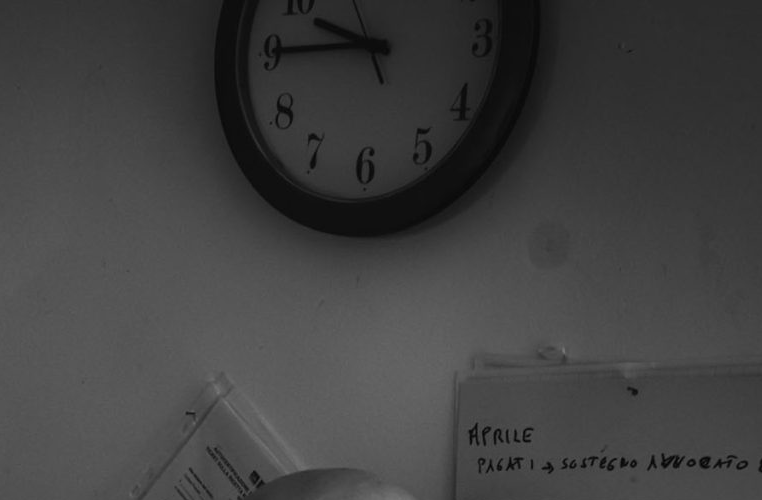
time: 9:44
